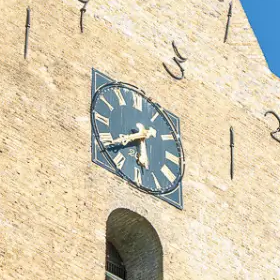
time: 5:38
